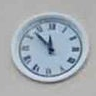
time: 11:52
